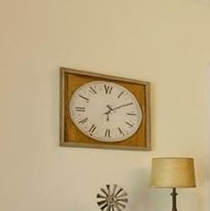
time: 6:10
